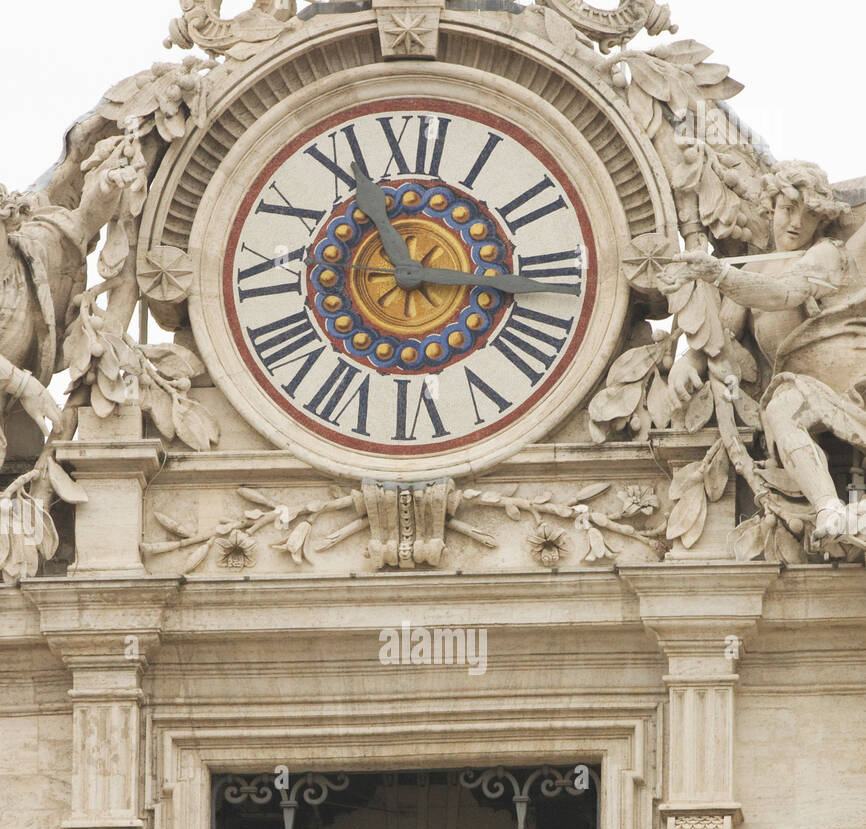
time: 11:16
